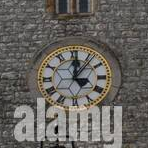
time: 12:06
